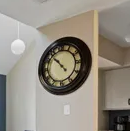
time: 10:53
